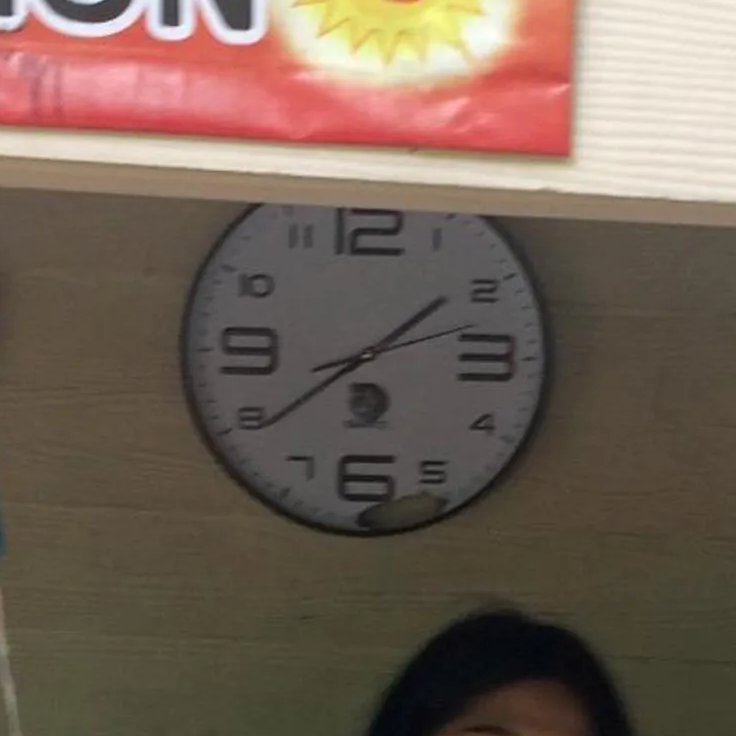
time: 1:39
